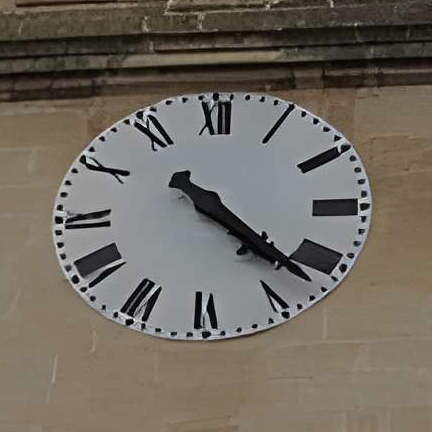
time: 4:22
